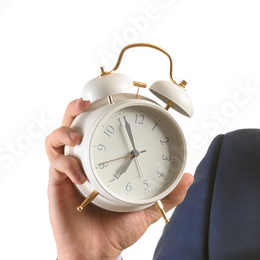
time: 6:56
